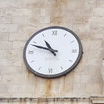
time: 10:48
